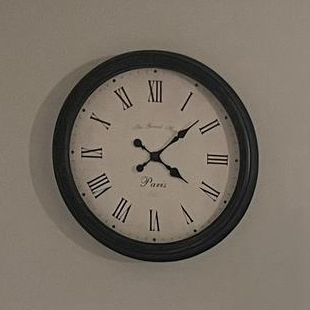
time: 4:08
